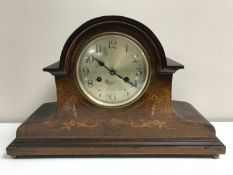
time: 10:20
